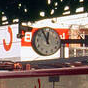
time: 11:55
